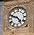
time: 4:48
